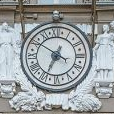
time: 6:50
